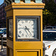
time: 4:46
